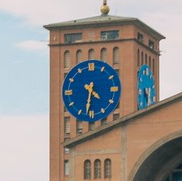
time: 4:31
